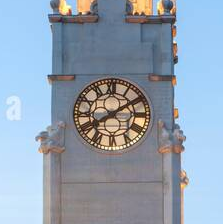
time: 8:09
